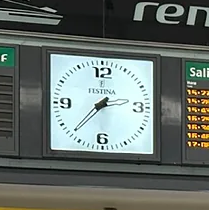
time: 2:36
